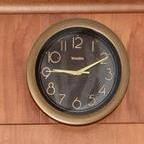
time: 9:10
